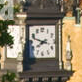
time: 7:47
